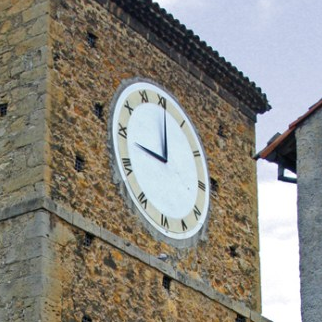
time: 8:59
